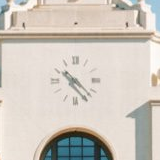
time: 10:22
